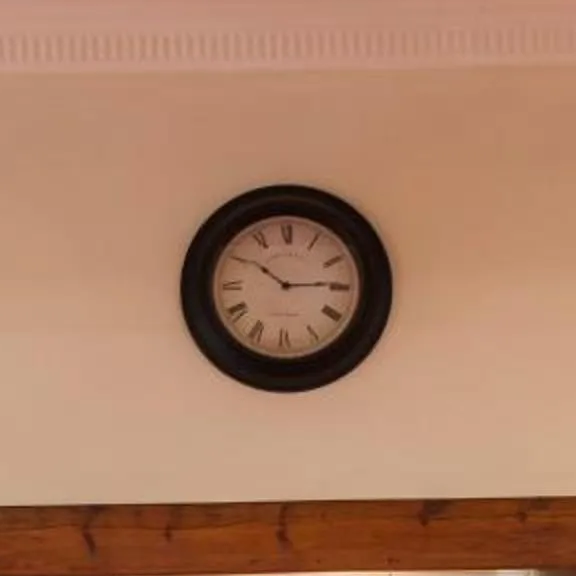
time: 10:14
